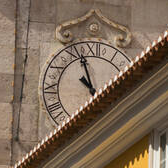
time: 10:56
